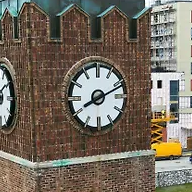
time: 8:11
